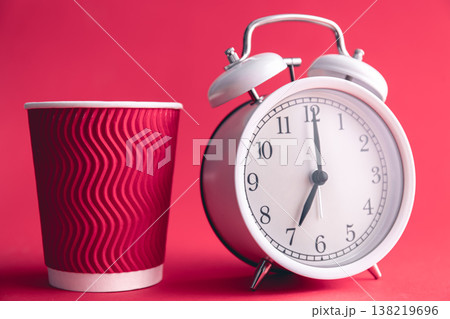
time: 7:00
